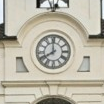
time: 7:59
